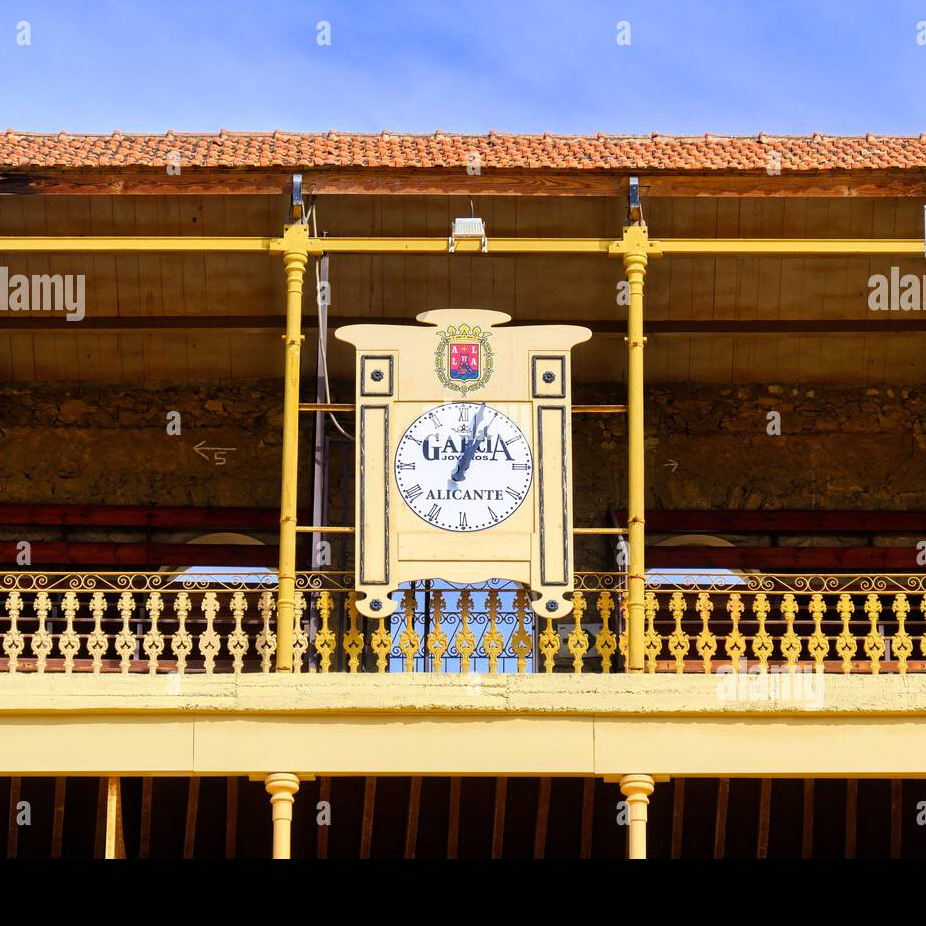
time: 1:03
